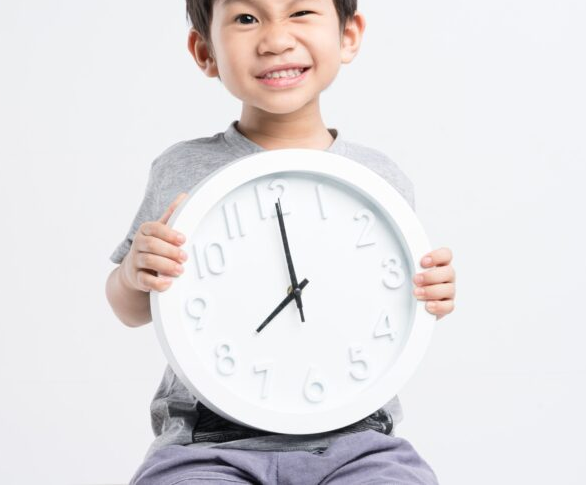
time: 8:00
